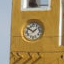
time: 1:50
